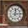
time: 12:14
